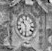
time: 10:30
